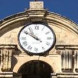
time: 10:50
